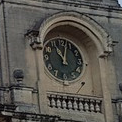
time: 11:02
